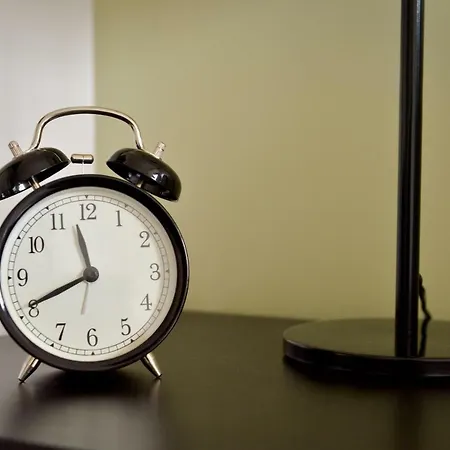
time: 11:40
